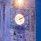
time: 8:09
